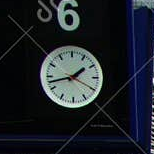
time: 1:42
